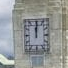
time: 12:00
